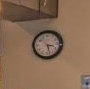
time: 3:27
